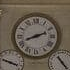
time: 8:11
